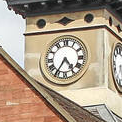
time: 4:35
